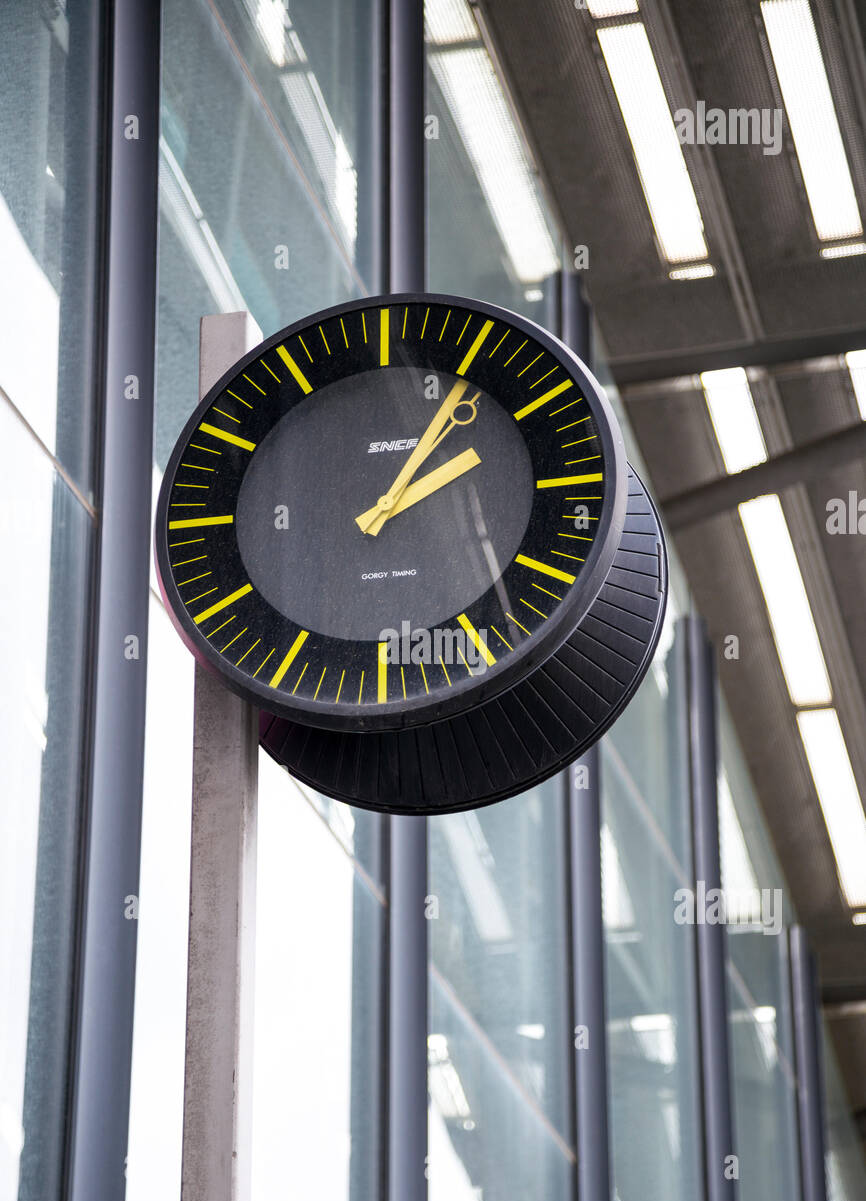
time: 2:06
